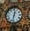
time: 12:32
